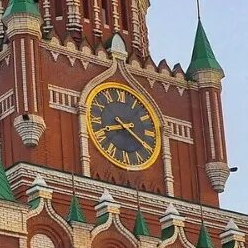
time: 8:20
